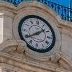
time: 1:39
